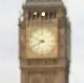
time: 9:40
